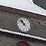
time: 10:52
